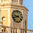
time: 9:42
